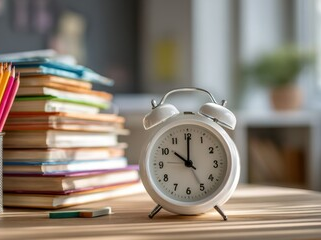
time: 10:00
